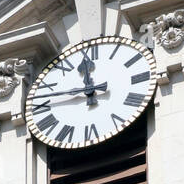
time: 11:46
